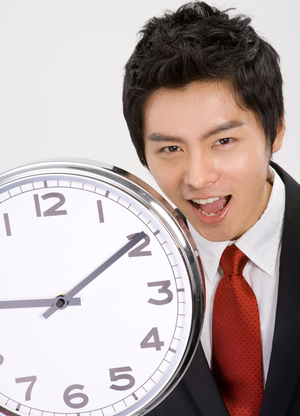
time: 9:09
